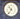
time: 10:36
